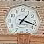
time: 1:18
